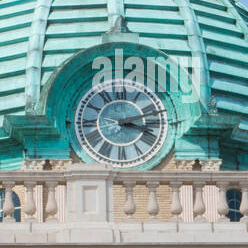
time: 3:12
